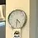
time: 4:31
